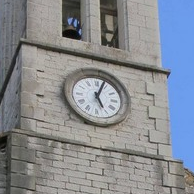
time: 5:03
